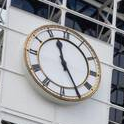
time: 11:24
